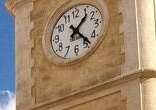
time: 1:23
